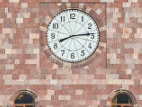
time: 8:14
